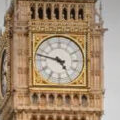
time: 4:47
